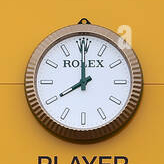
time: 7:59
